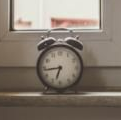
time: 6:43
